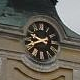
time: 9:41
